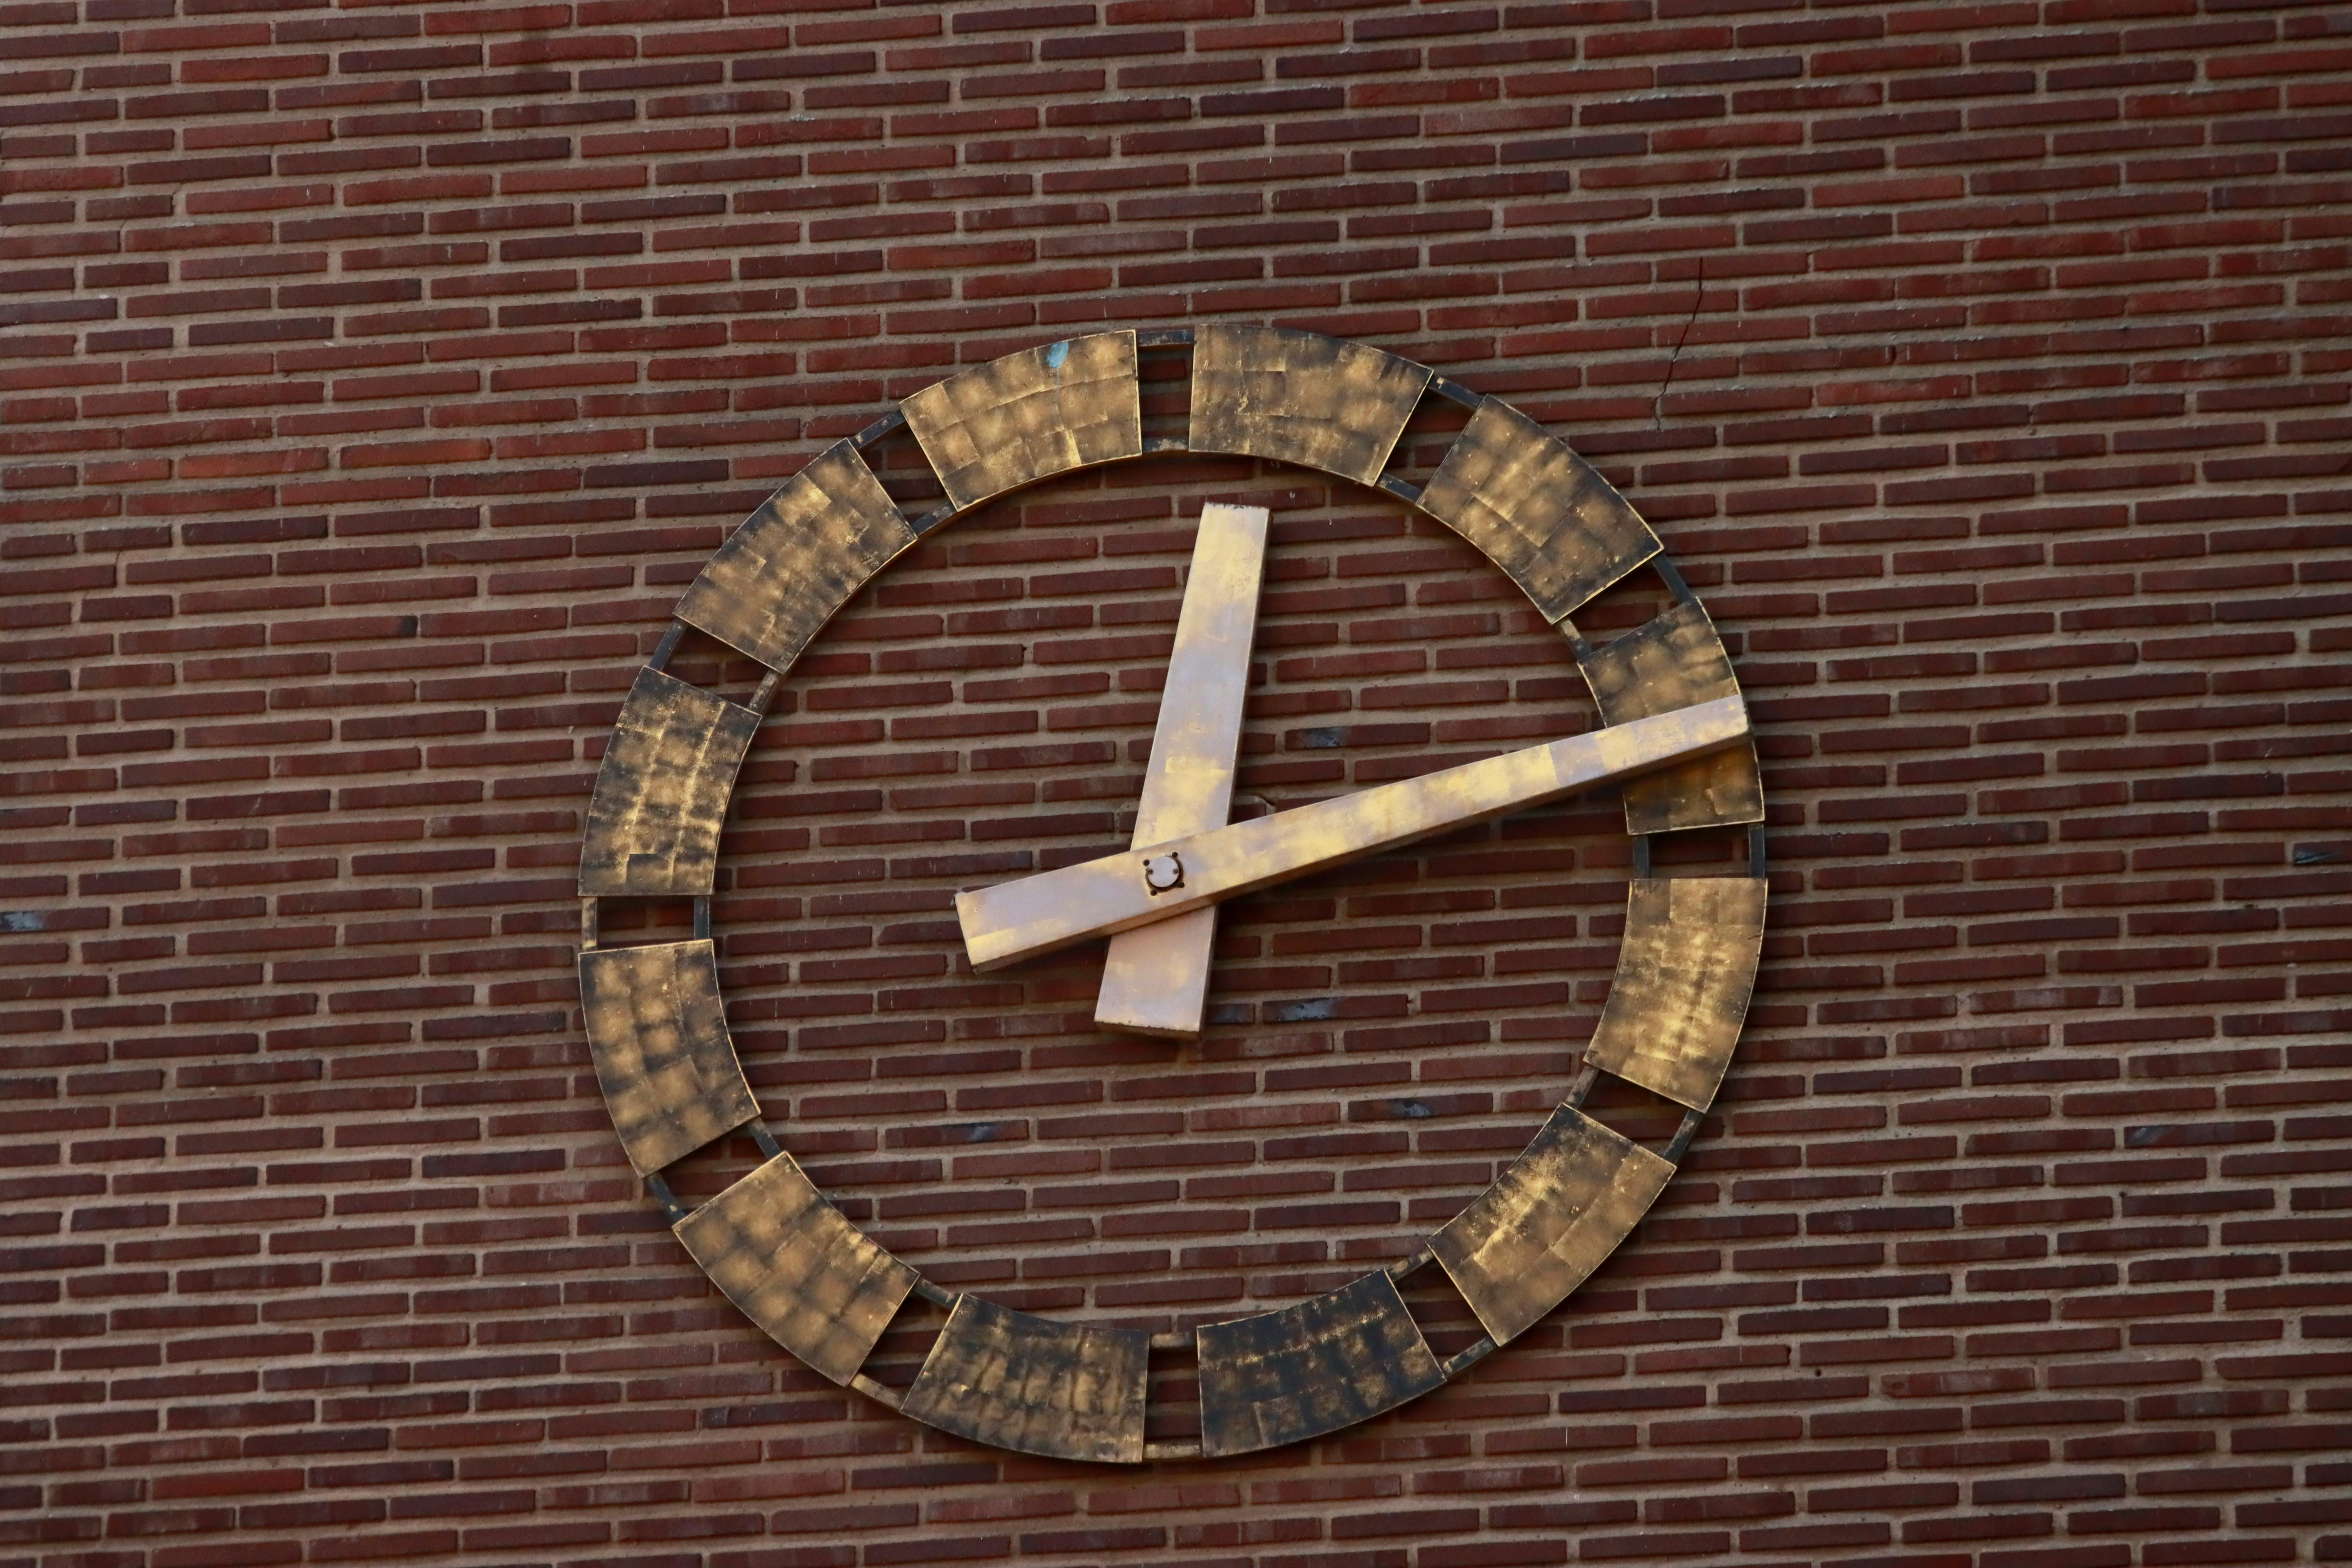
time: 12:12
